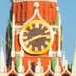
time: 2:40
